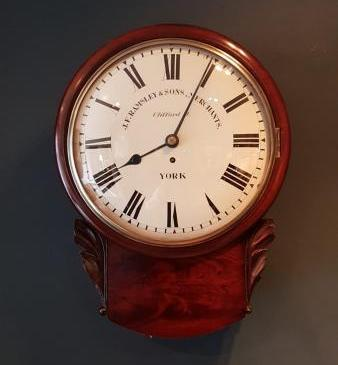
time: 8:04
